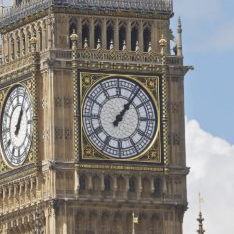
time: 1:06
